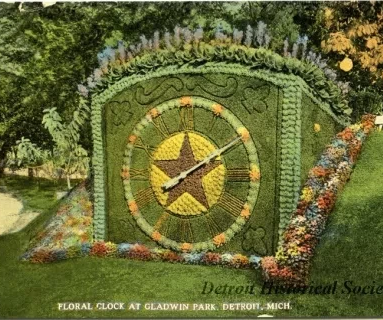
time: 8:09
